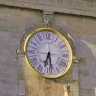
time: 6:28
